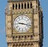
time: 9:17
